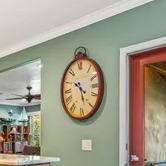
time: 10:28
